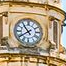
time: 10:39
